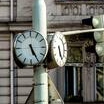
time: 5:26
